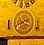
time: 3:40
